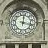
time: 12:17
